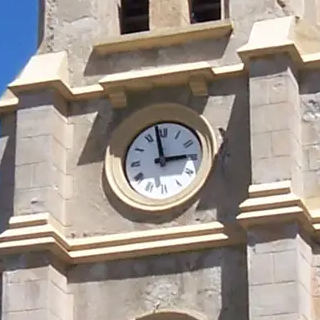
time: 2:58
